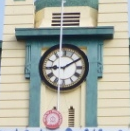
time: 9:09
